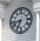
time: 8:34
